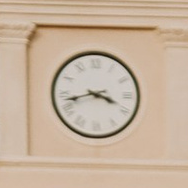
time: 3:42
